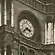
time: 3:37
